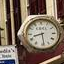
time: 8:28
